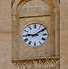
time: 9:09
